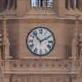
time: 1:52
